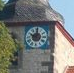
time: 10:00
